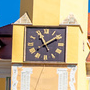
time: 11:09
